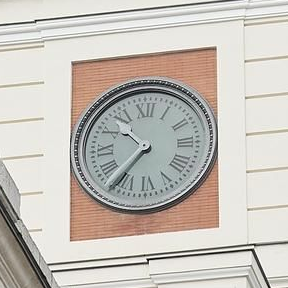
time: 10:36
